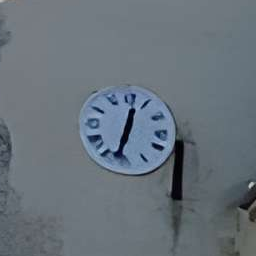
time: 12:32
